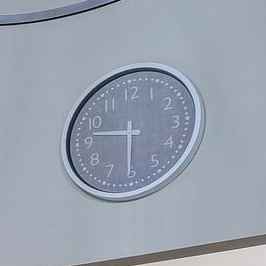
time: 9:30
